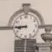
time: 8:45
